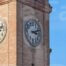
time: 3:12
